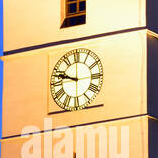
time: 9:47
